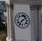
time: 1:36
